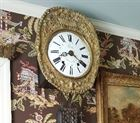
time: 8:20
